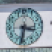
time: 3:32
